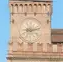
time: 9:12
